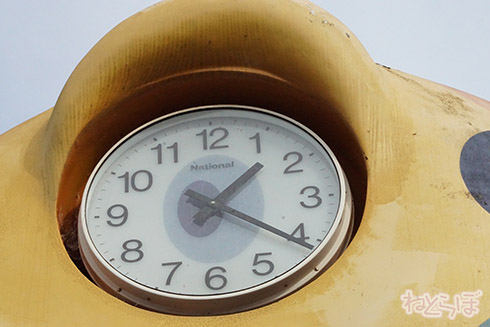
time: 1:20
